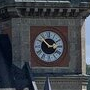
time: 2:52
